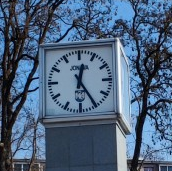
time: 12:24
